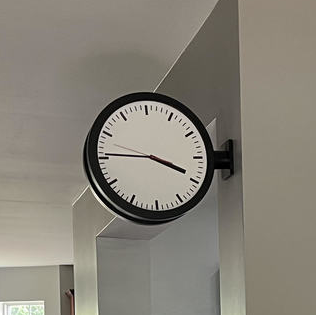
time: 3:45
